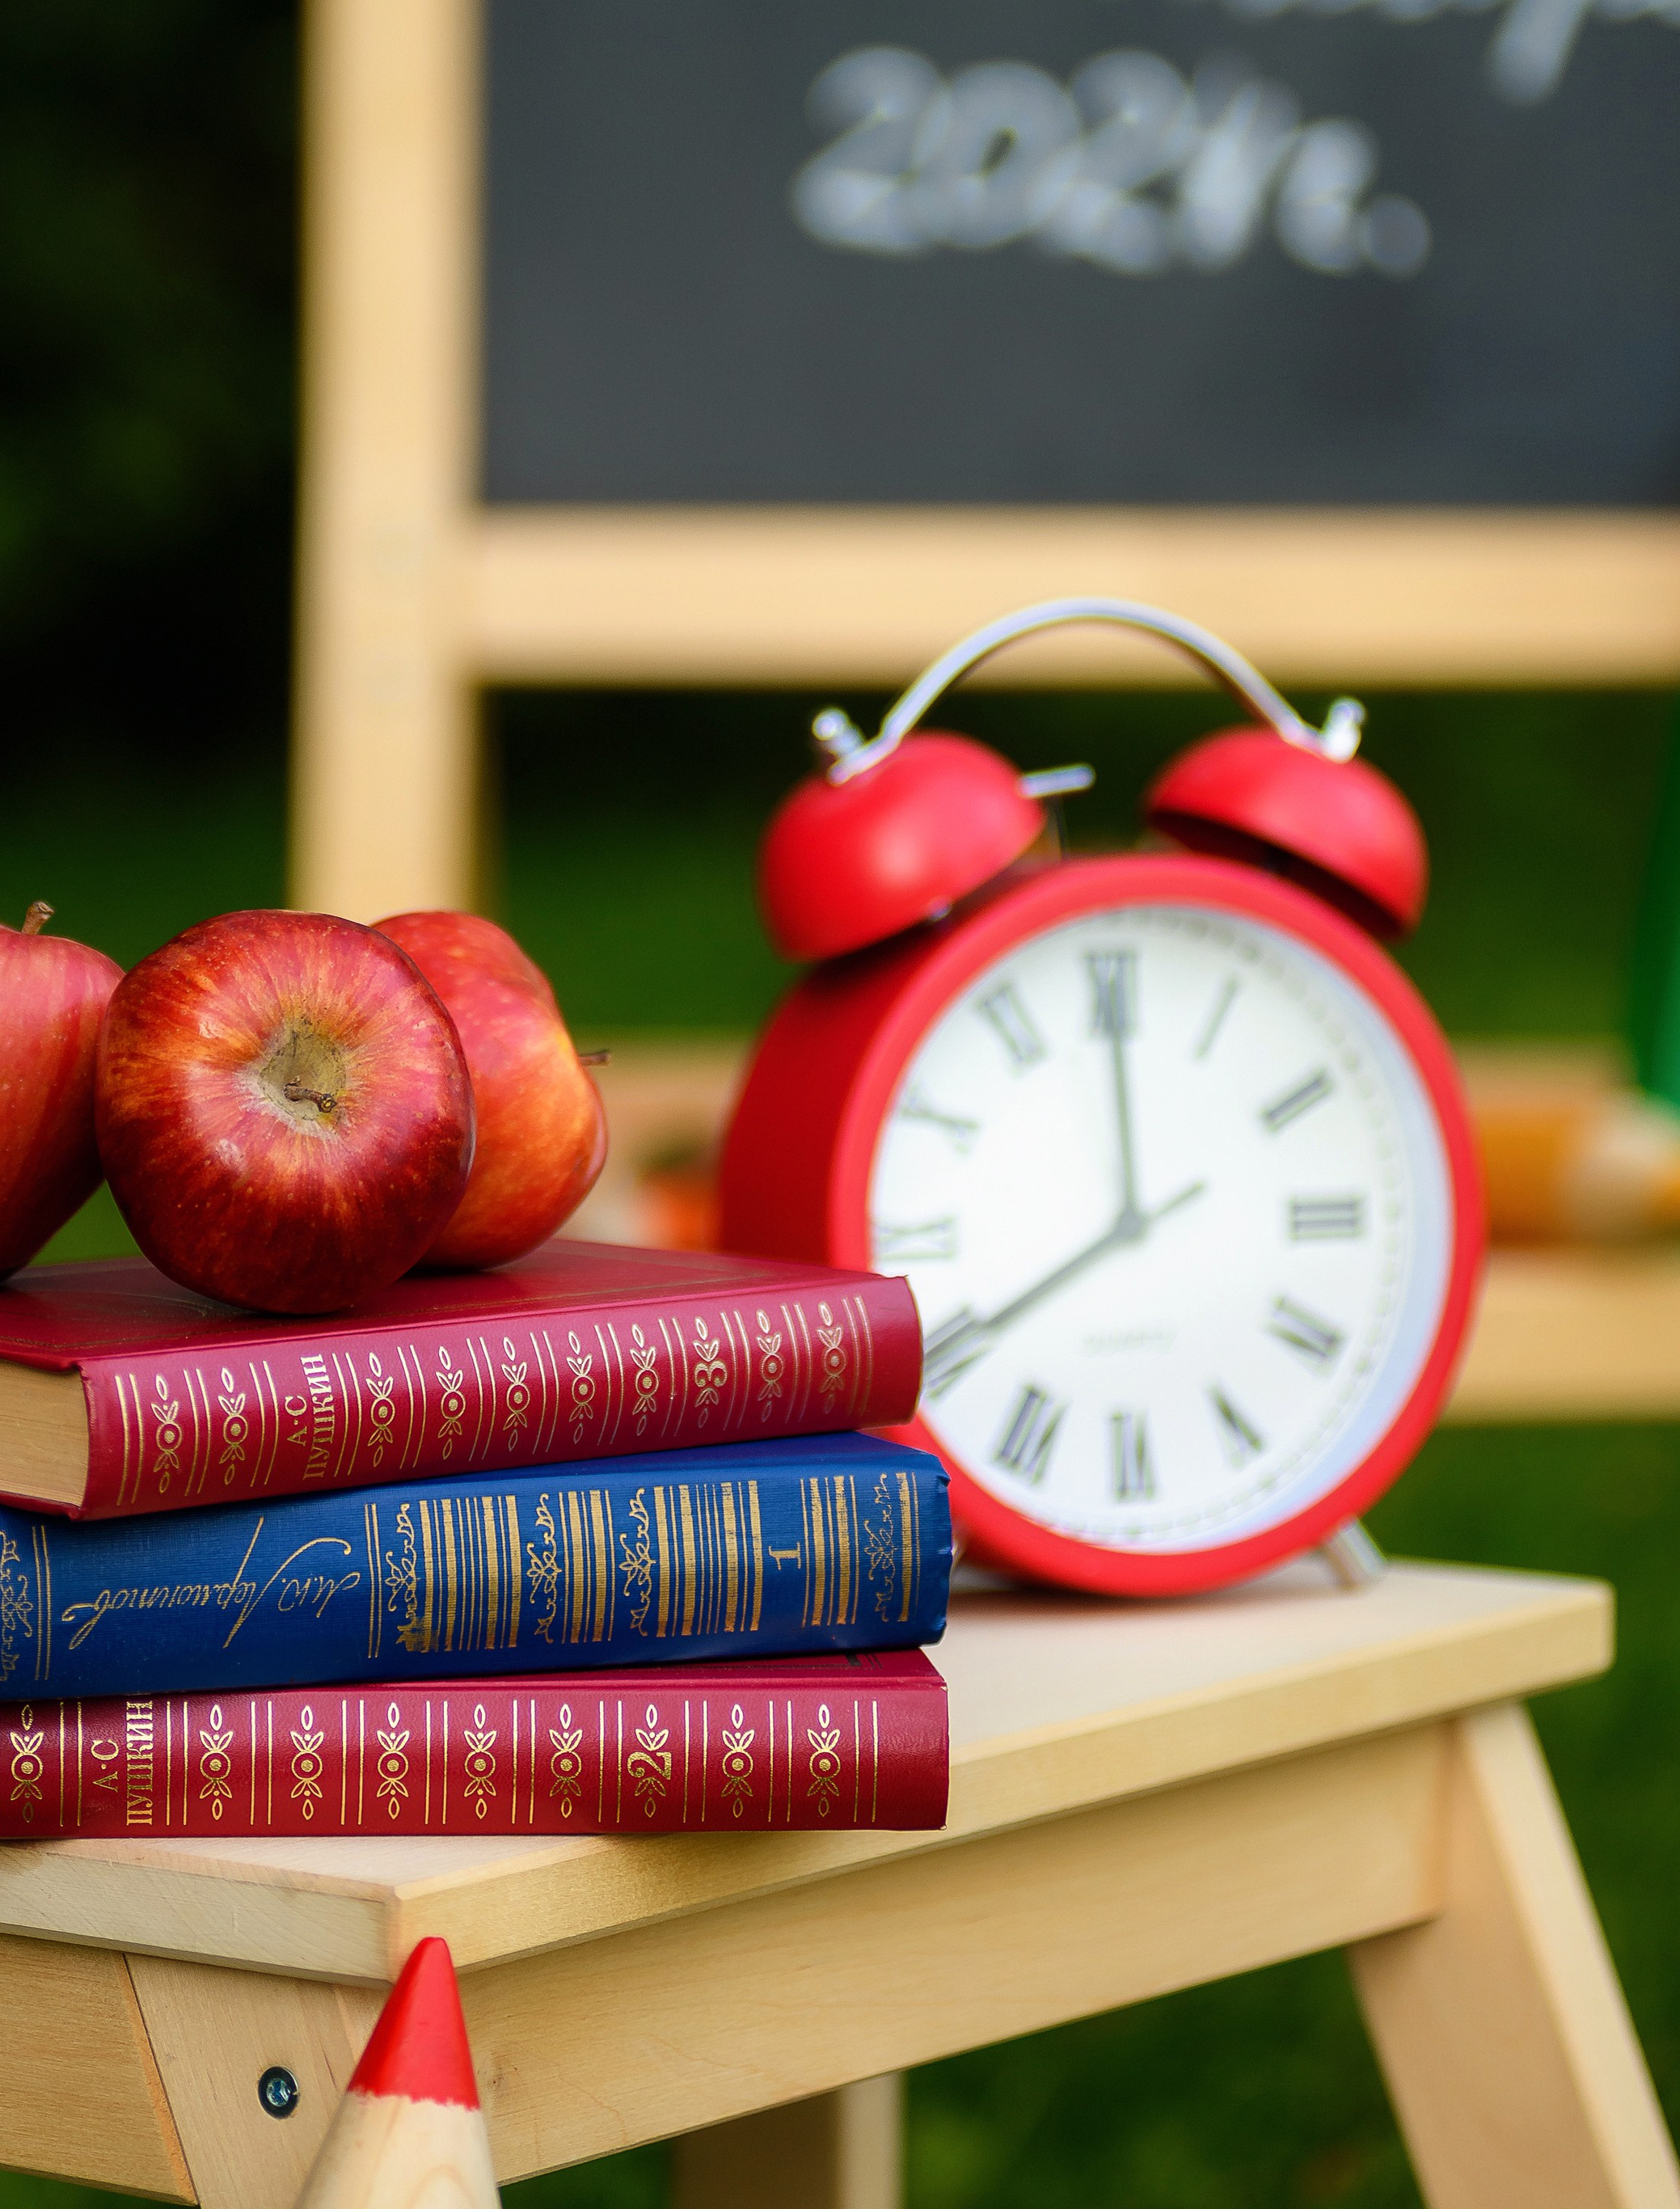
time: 7:59
